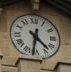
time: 4:31
